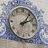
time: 2:06
